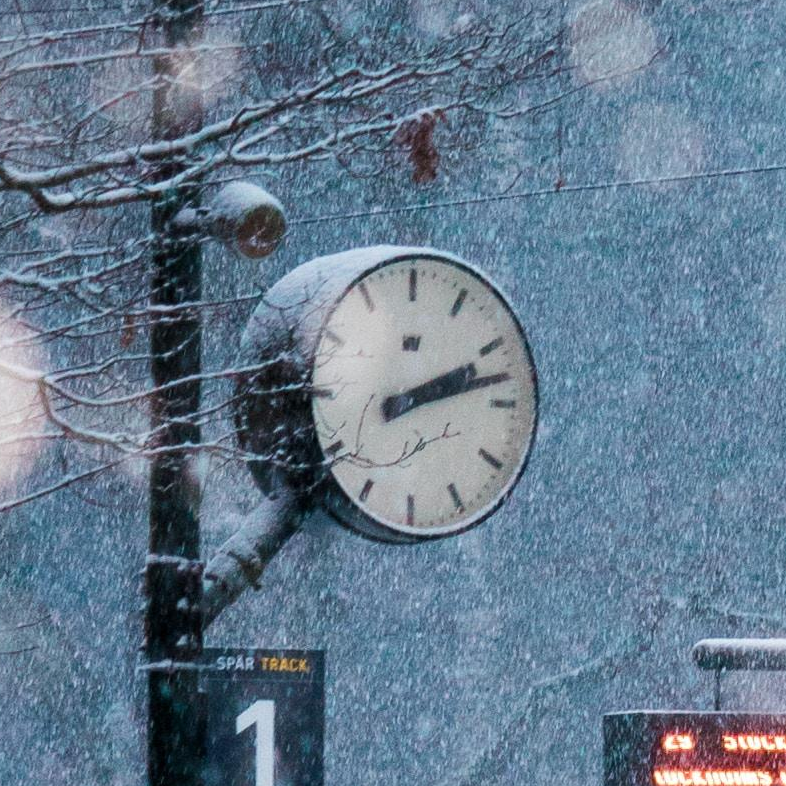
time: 2:12
